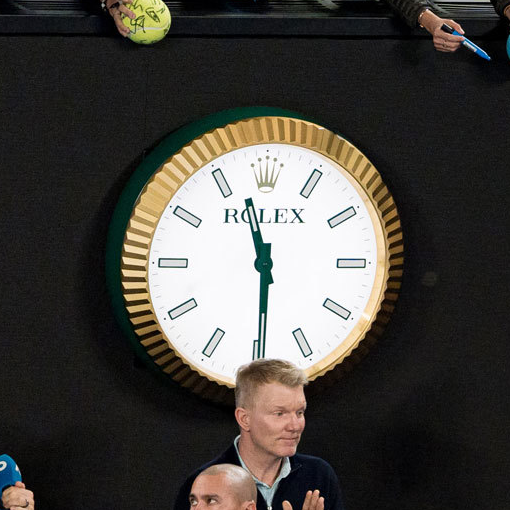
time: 11:29
